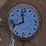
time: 11:41
